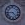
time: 4:44
